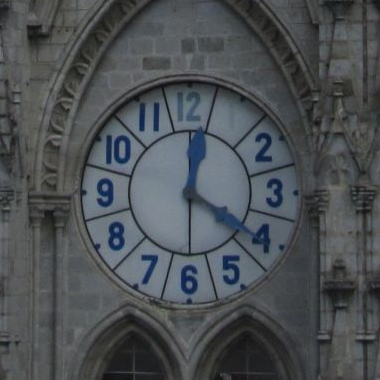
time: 12:20
